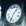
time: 1:33
